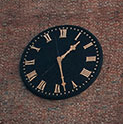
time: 1:28
